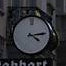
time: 4:13
